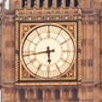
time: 5:43
